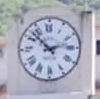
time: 2:52
